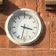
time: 3:32
